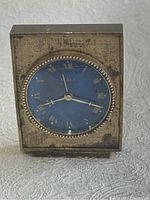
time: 8:18
